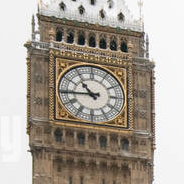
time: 10:44
